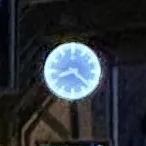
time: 8:21
